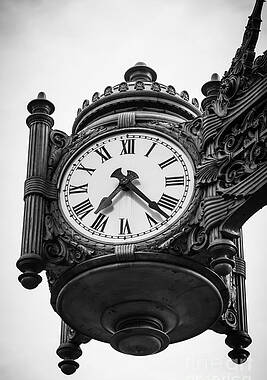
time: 7:22
